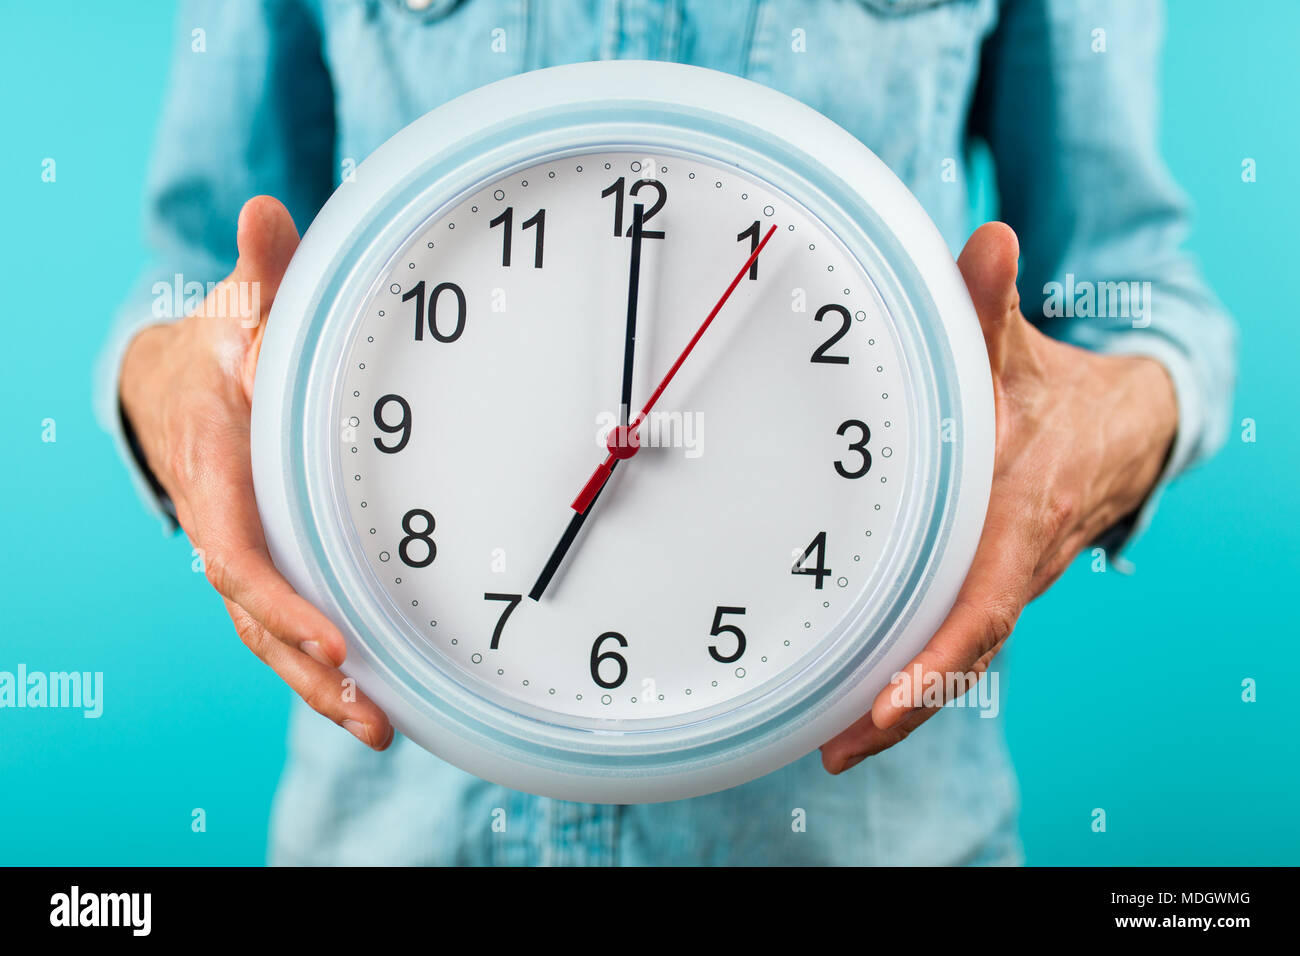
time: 7:00
